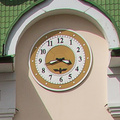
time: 3:42
